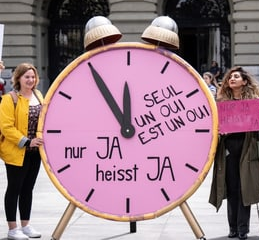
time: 11:54
